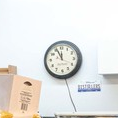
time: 11:55
